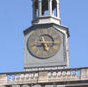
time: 5:14
